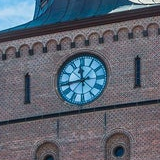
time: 11:43
